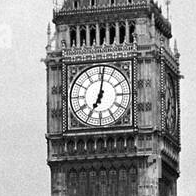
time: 7:01
